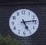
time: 5:13
